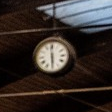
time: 5:59
